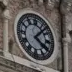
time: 4:07
